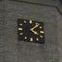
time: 4:07
